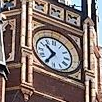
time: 10:35
